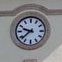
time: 9:38
